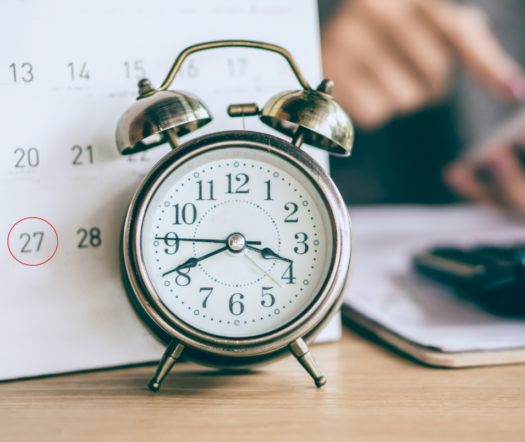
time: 3:41
